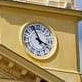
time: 3:56
